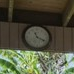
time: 11:19
